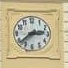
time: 2:38
